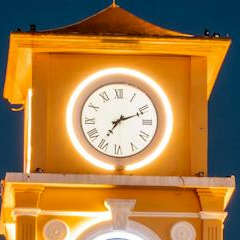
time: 7:11
